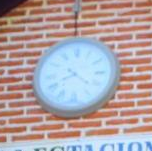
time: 8:21
